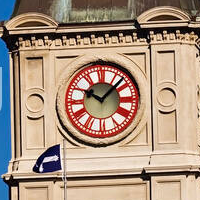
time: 10:07
